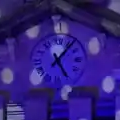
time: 5:06
